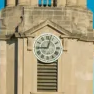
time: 9:02
